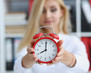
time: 8:00
